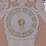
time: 4:57
